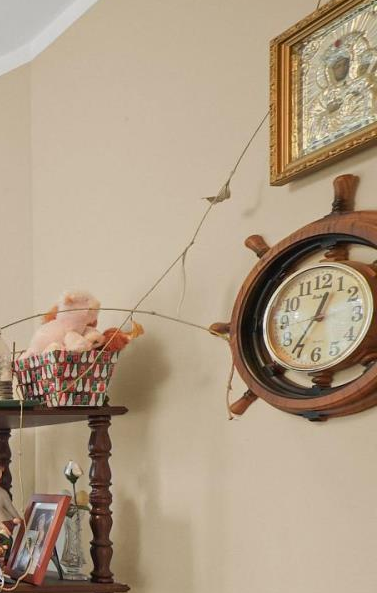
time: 12:35
